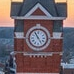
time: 4:54
